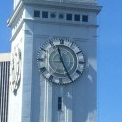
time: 11:25
